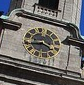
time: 3:43
